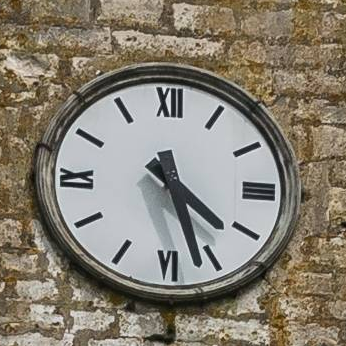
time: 4:27
